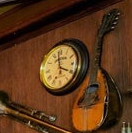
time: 3:58
